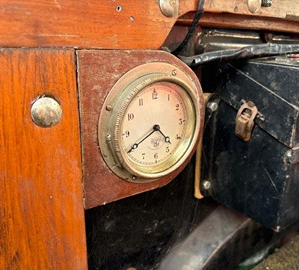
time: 4:40
